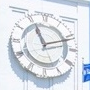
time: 11:11
